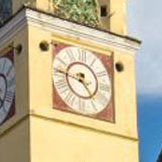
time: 4:46
